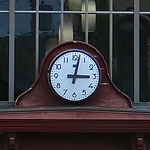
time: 3:02
